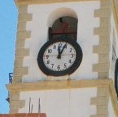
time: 12:04
